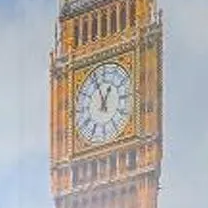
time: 12:57
